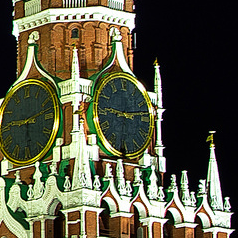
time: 9:13
